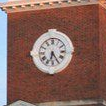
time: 6:24
